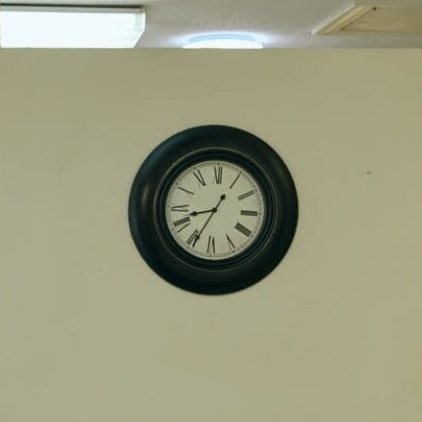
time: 8:34
